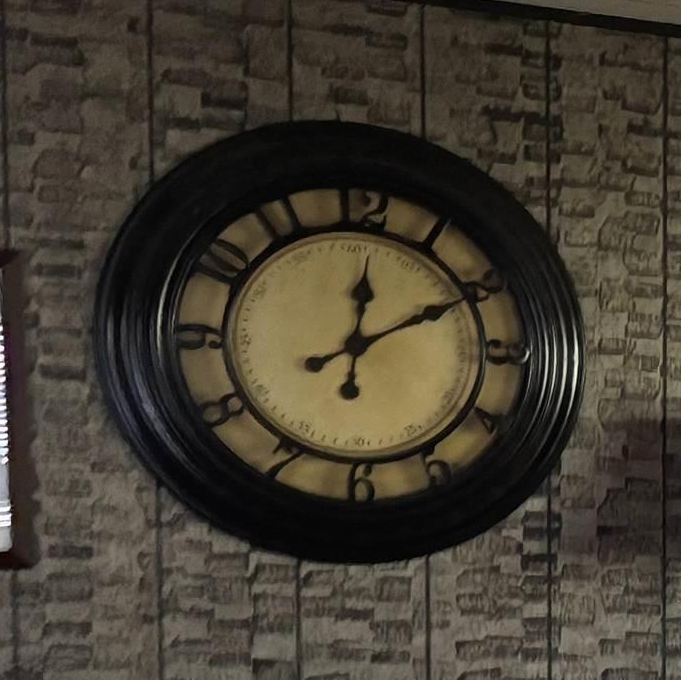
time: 12:10
